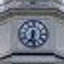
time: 6:28
